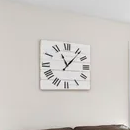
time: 11:06
